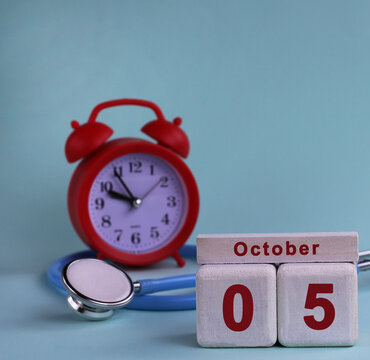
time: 9:54
